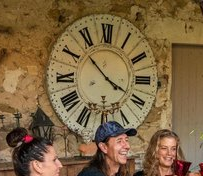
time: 3:52
